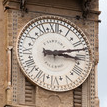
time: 3:12
